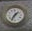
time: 1:35
